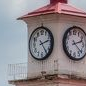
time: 2:23
